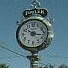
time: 10:16
